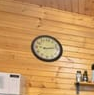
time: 9:12
